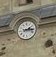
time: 2:15
